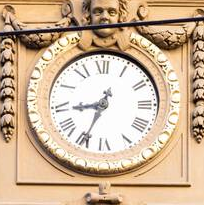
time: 8:34
